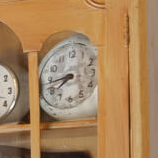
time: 7:43
